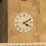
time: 4:10
